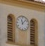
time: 11:07
